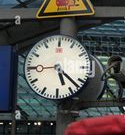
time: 5:22
